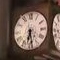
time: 6:28
